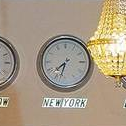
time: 7:32
